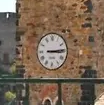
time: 3:14
